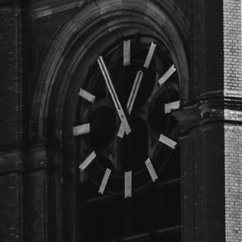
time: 12:55
